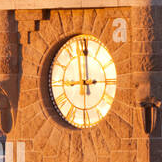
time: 9:00
